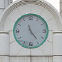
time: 11:23
